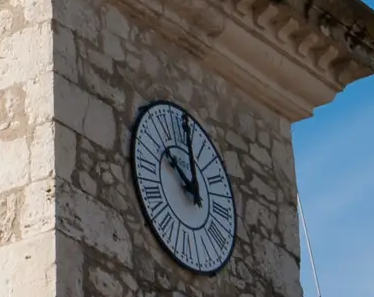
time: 10:00
